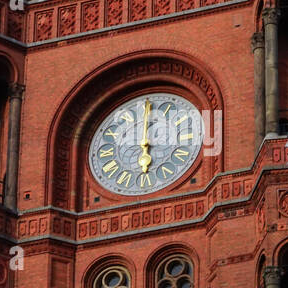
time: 5:59
